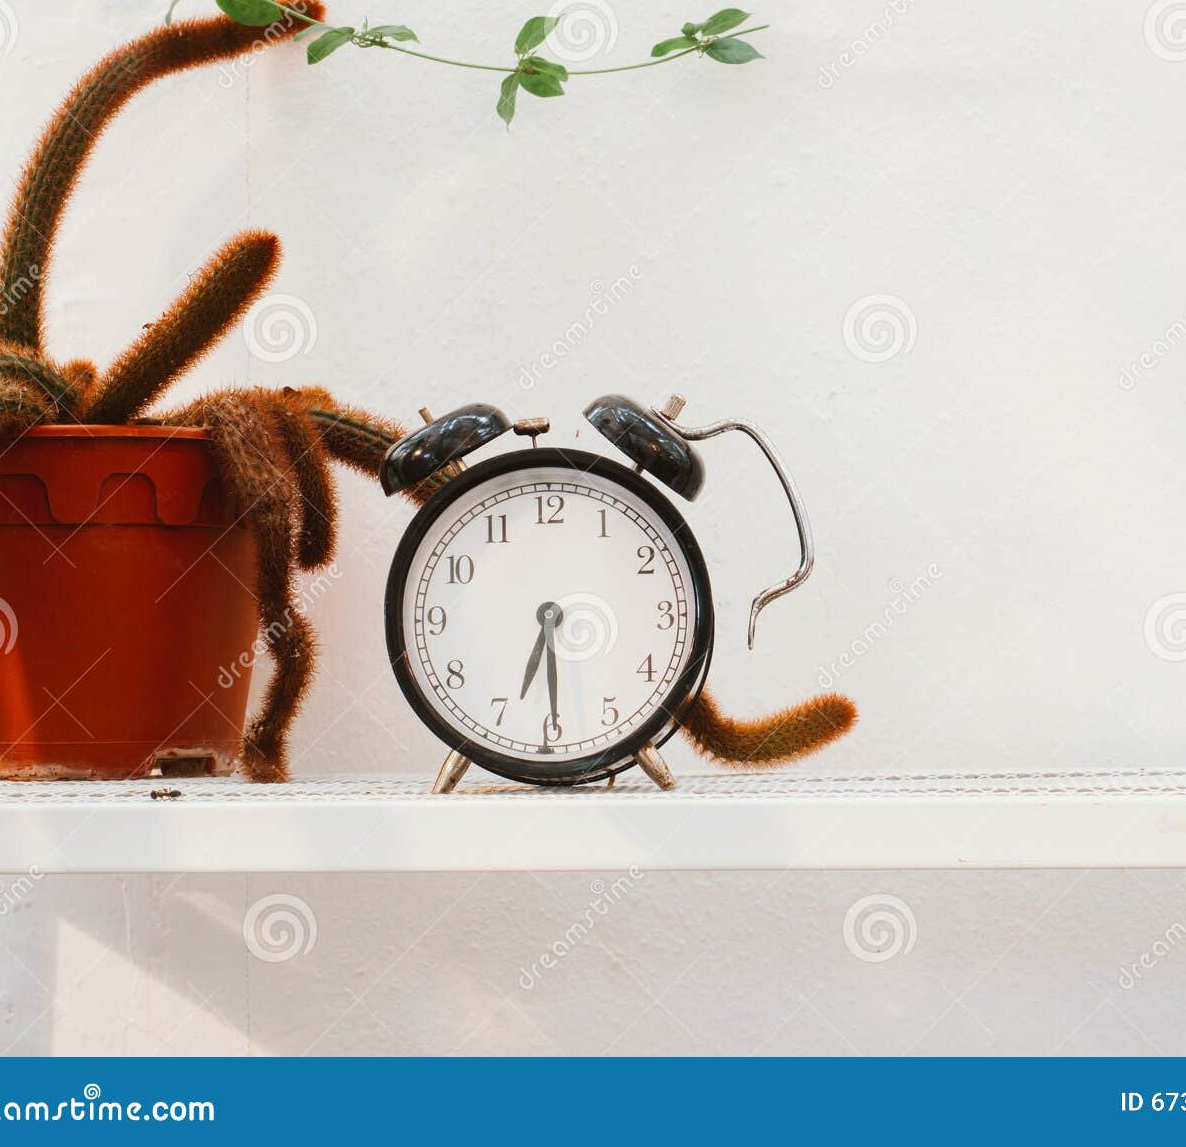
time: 6:29
